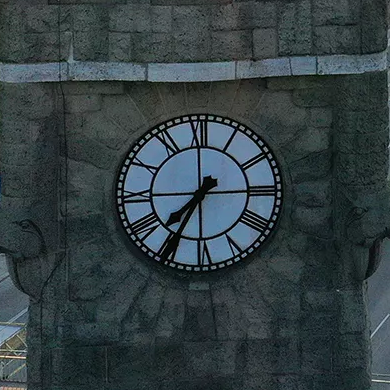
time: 7:34
